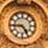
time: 4:44
